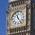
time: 11:24
